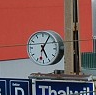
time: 5:05
